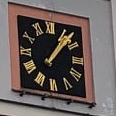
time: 1:07
